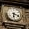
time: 6:18
